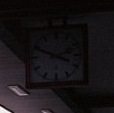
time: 3:49
